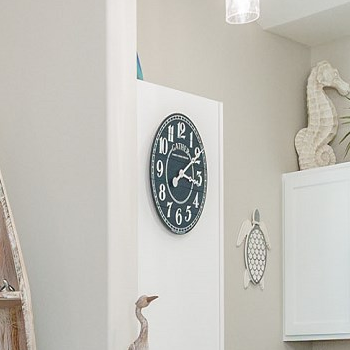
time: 3:09
